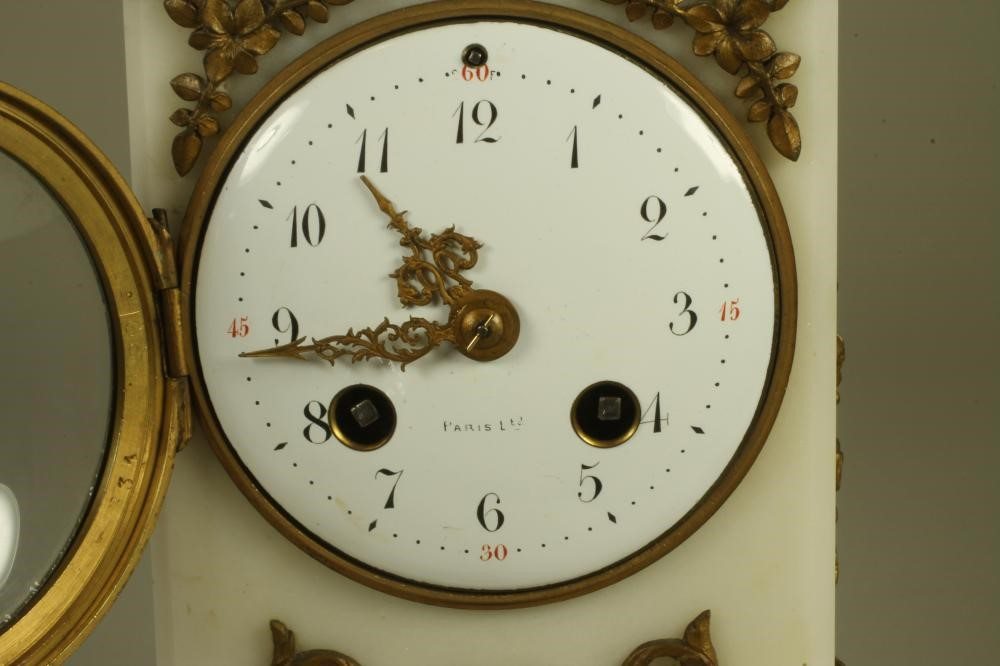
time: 10:43
